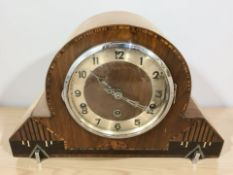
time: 10:20
